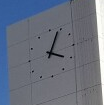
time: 4:04
